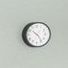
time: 10:24
